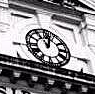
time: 11:02
